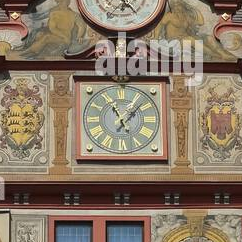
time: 11:07
